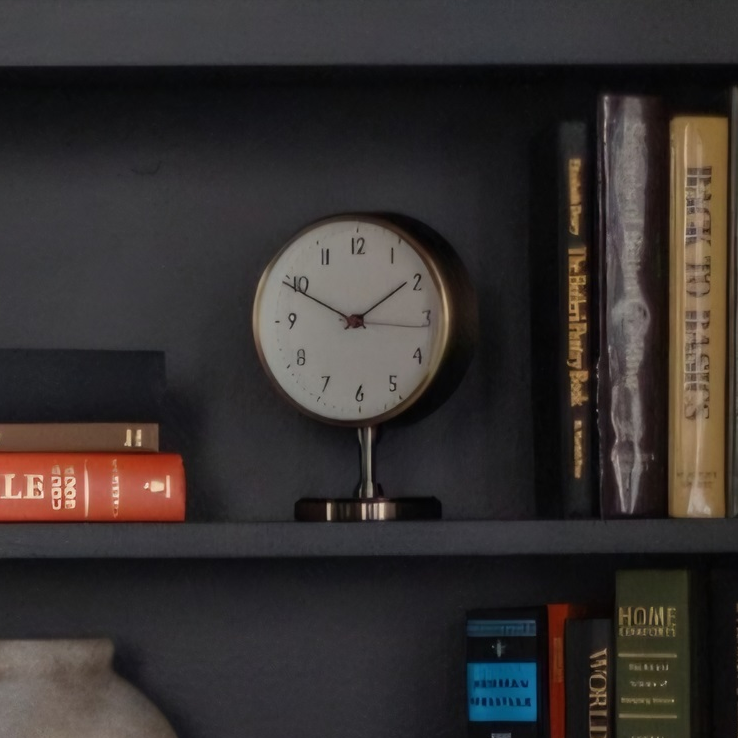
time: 1:49
